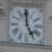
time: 4:59
